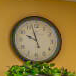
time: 9:57
